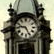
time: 9:26
